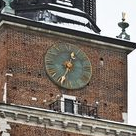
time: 12:34
